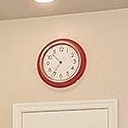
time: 10:36
